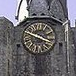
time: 3:48
